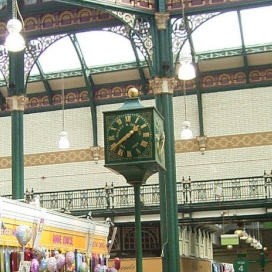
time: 1:39
